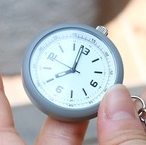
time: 8:02
